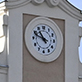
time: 10:48
